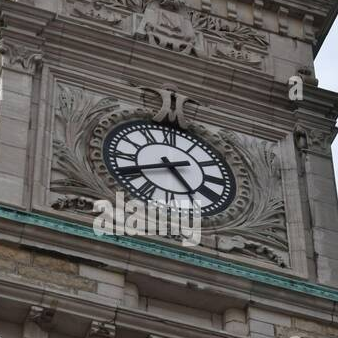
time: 4:40
